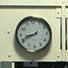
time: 8:41
